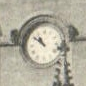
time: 10:51
